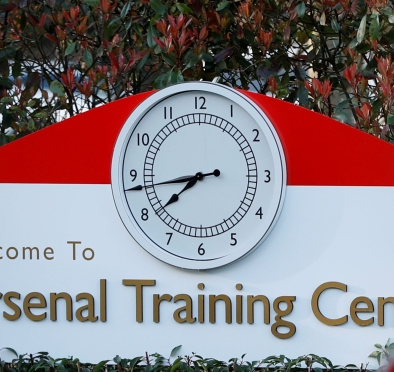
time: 7:43
